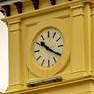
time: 10:20
